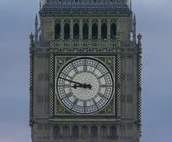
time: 8:47
